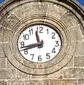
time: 11:42
